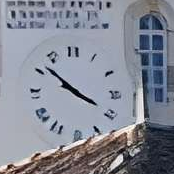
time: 3:51
